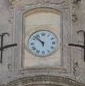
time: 5:52
